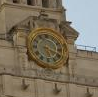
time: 5:18
